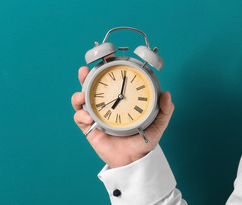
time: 7:01
